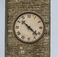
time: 10:22
